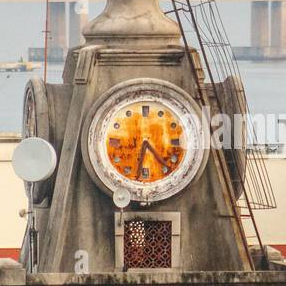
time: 6:23
